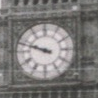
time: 9:48
